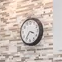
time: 3:35
